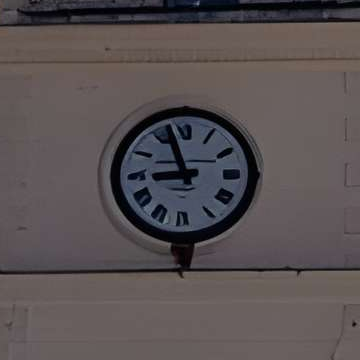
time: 8:57
